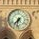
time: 7:32
